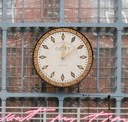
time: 12:09
